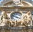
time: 3:48
